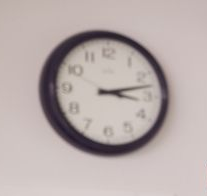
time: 3:12
